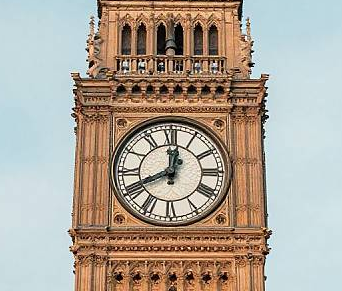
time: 12:41
